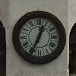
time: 12:34
